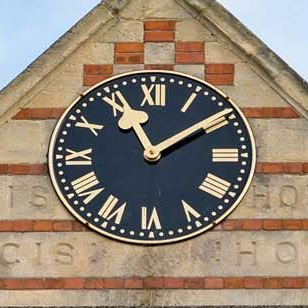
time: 11:09
